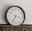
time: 3:35
